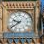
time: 9:39
